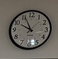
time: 9:55
